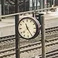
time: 11:25
